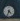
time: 4:34
